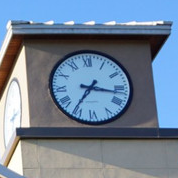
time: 7:16
